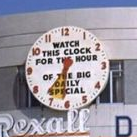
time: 6:36
